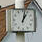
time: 1:02
